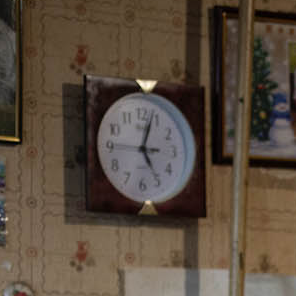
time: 5:03
